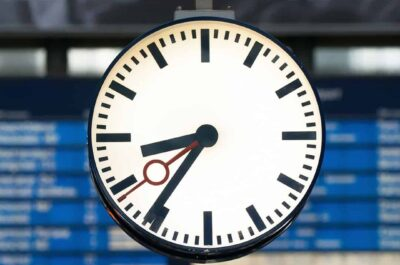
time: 8:36
